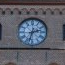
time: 2:32
